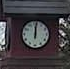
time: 12:00
